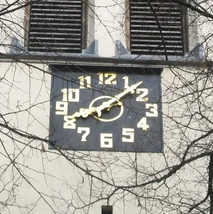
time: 8:07
